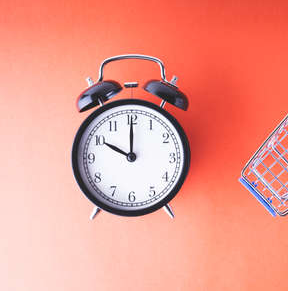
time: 10:00
